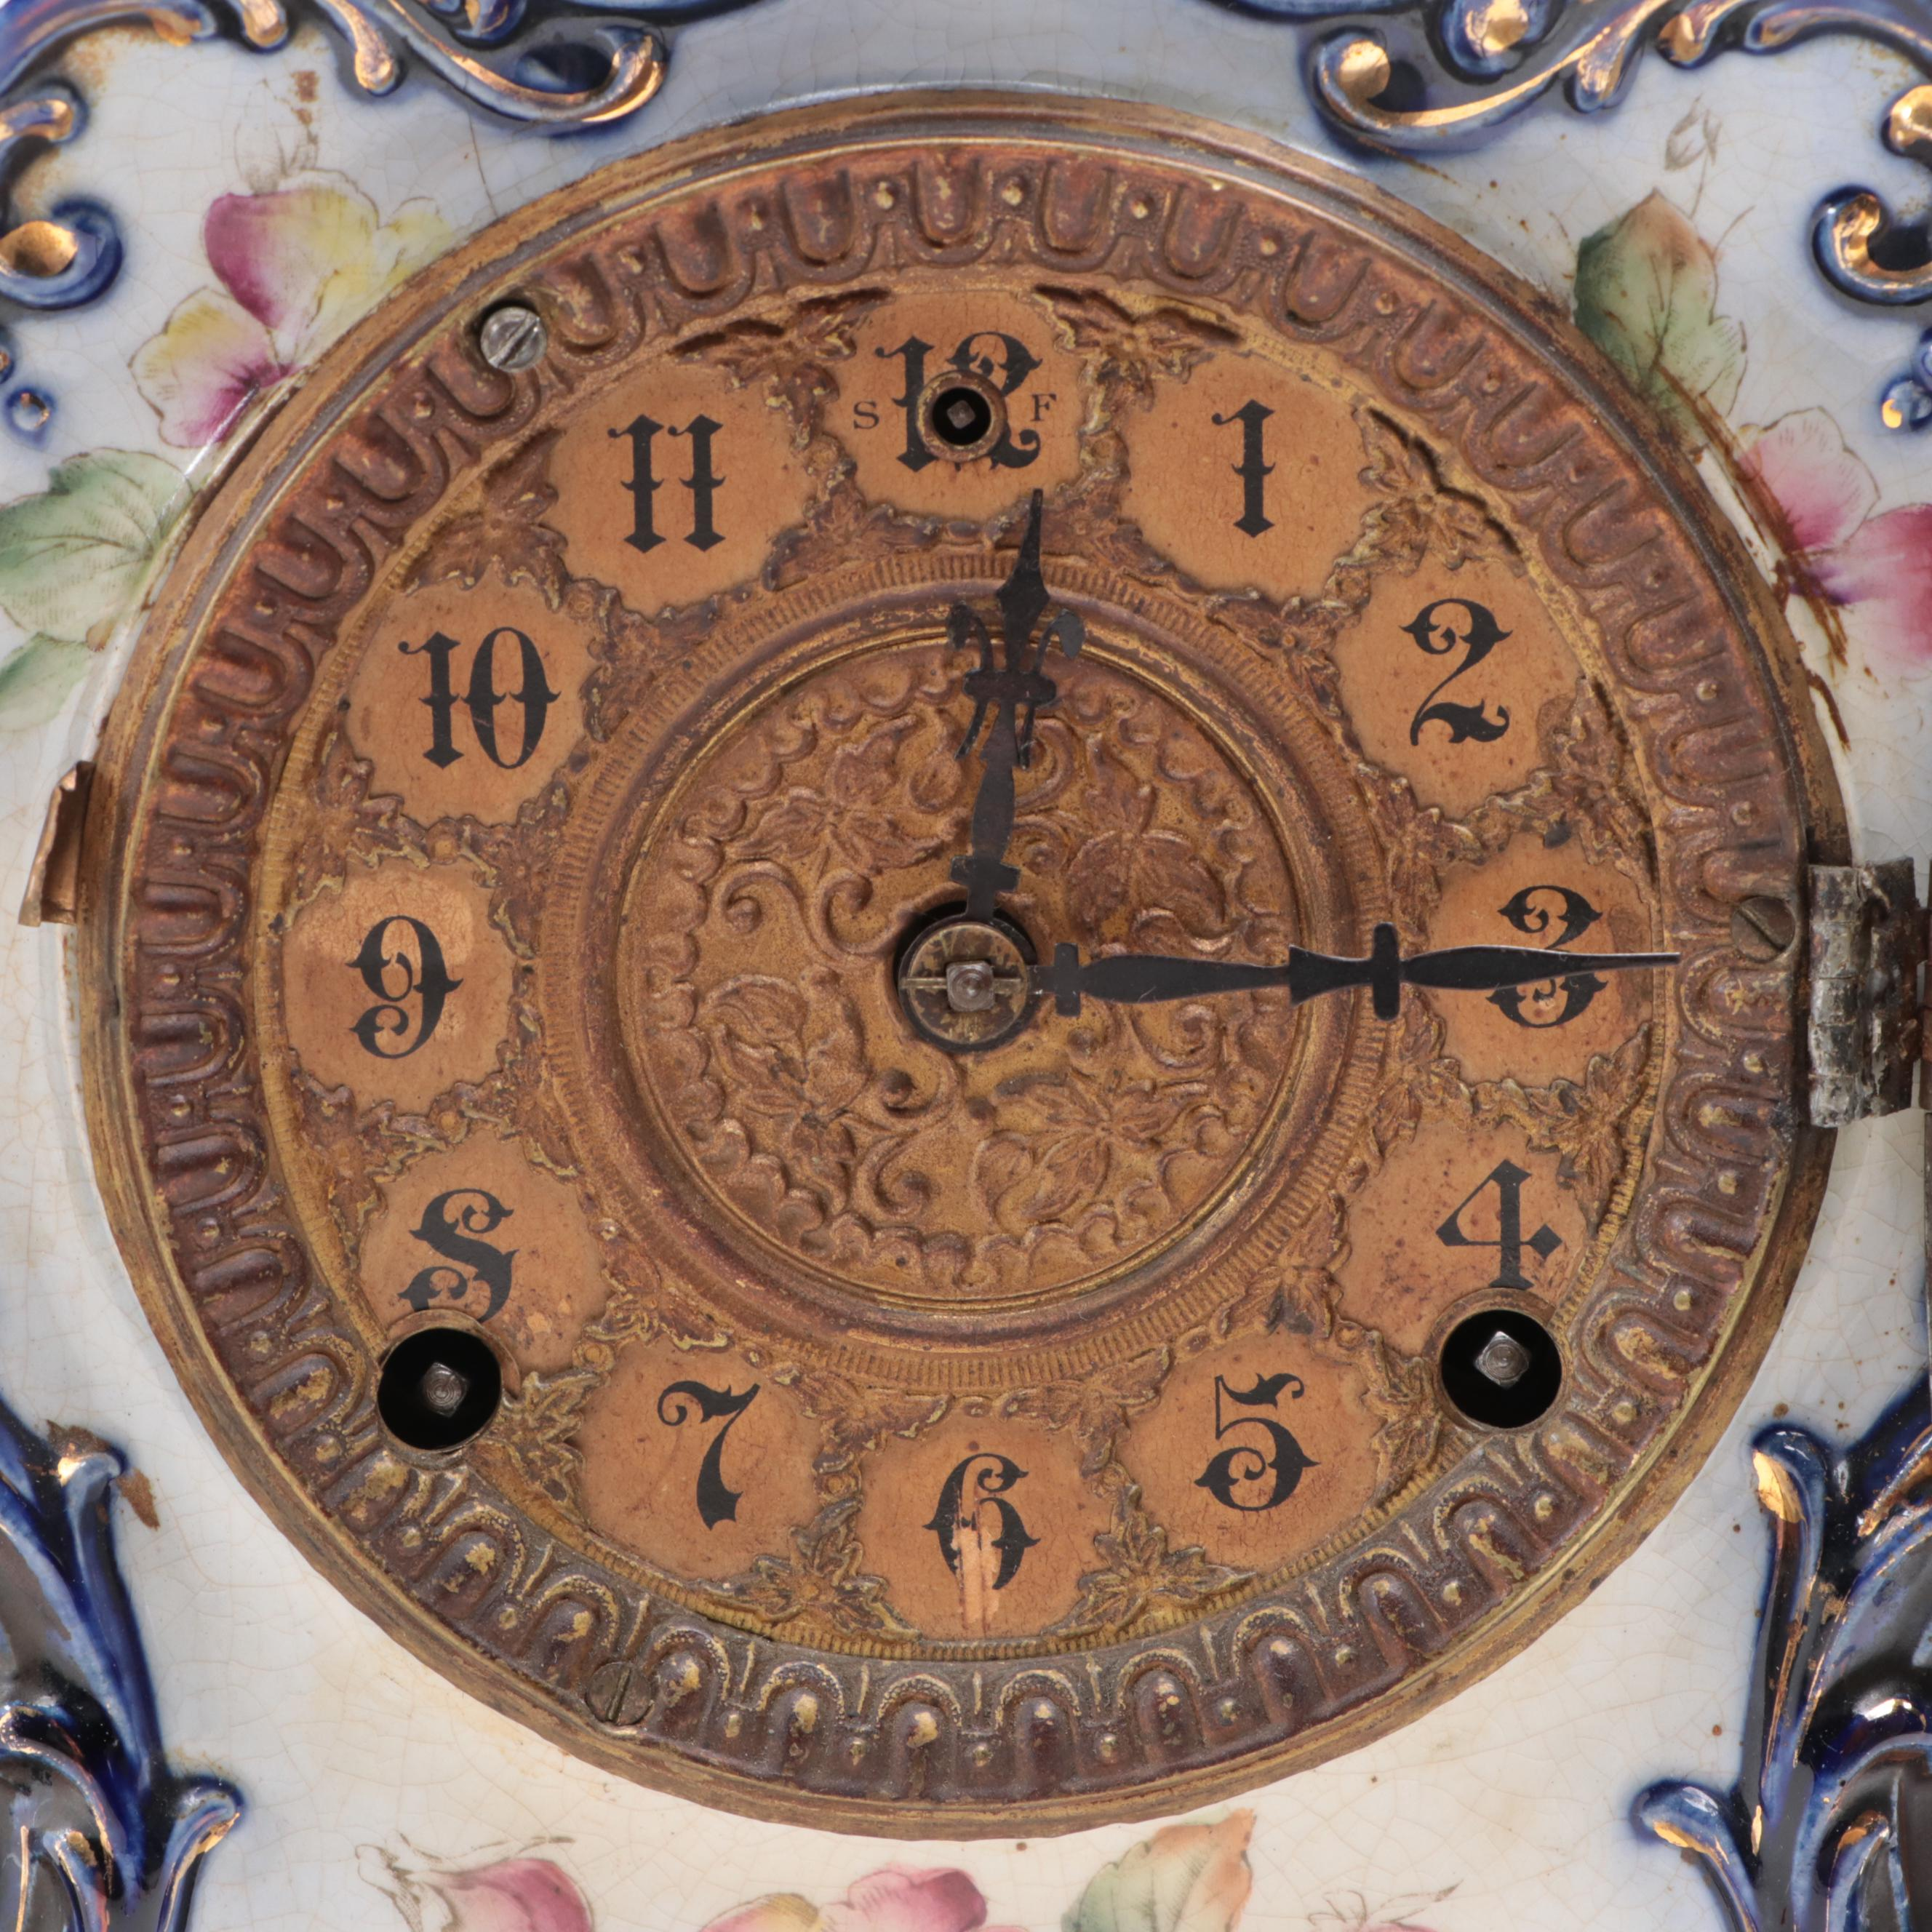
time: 12:15
